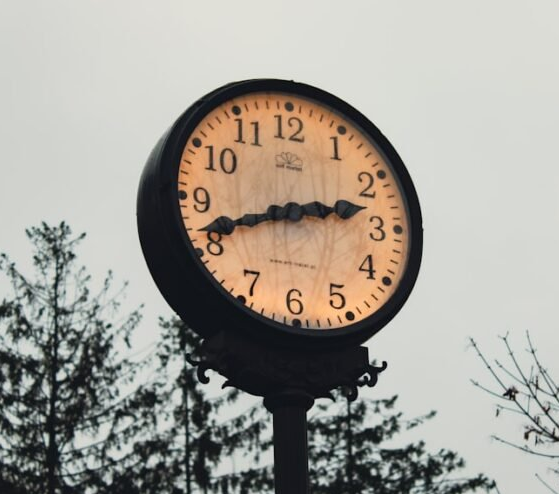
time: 2:41
